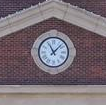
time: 11:07
